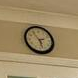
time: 2:27
